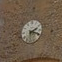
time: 2:18
